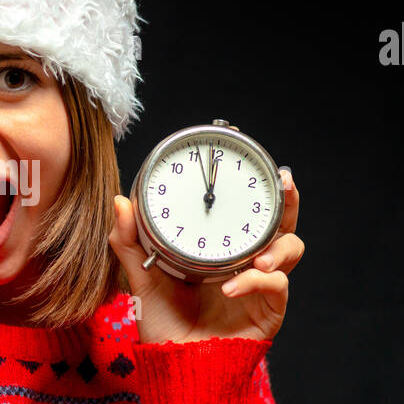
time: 11:56
